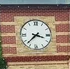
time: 3:37
